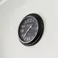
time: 1:36
